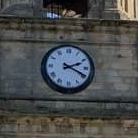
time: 2:19
